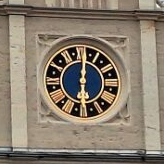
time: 6:00
